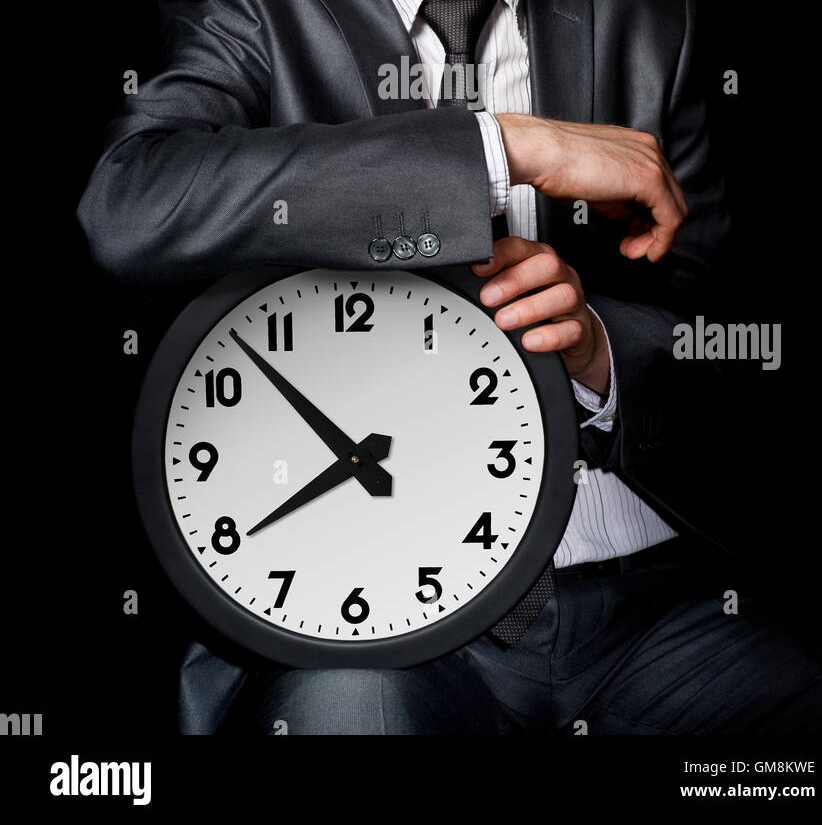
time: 7:52
